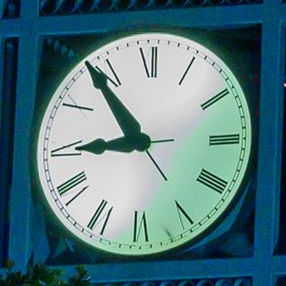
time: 8:53
